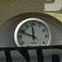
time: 11:49
